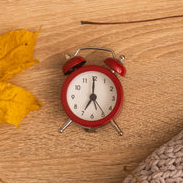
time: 7:00
